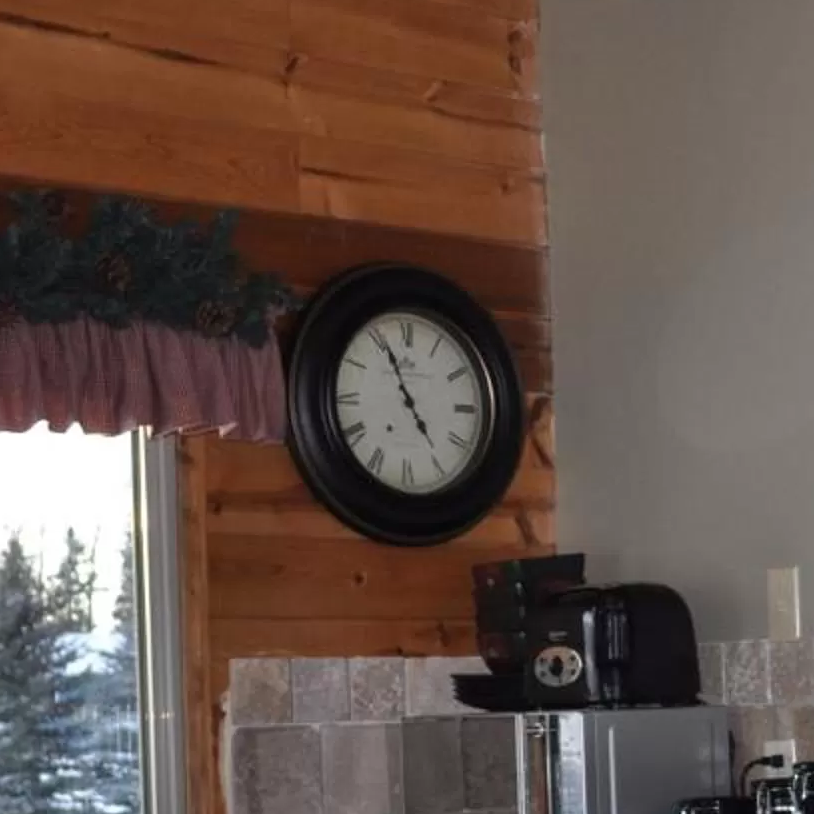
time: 4:56
